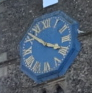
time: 3:52
